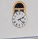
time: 2:21
